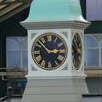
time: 2:52
